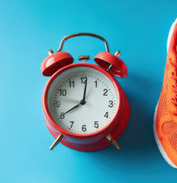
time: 8:01
